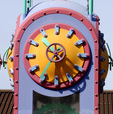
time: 10:36
